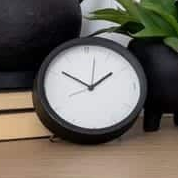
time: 1:50
